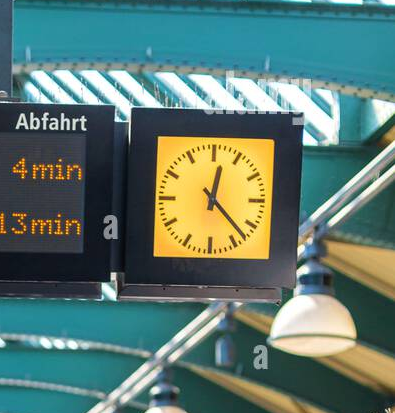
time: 12:22
